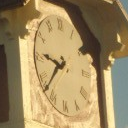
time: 7:46
